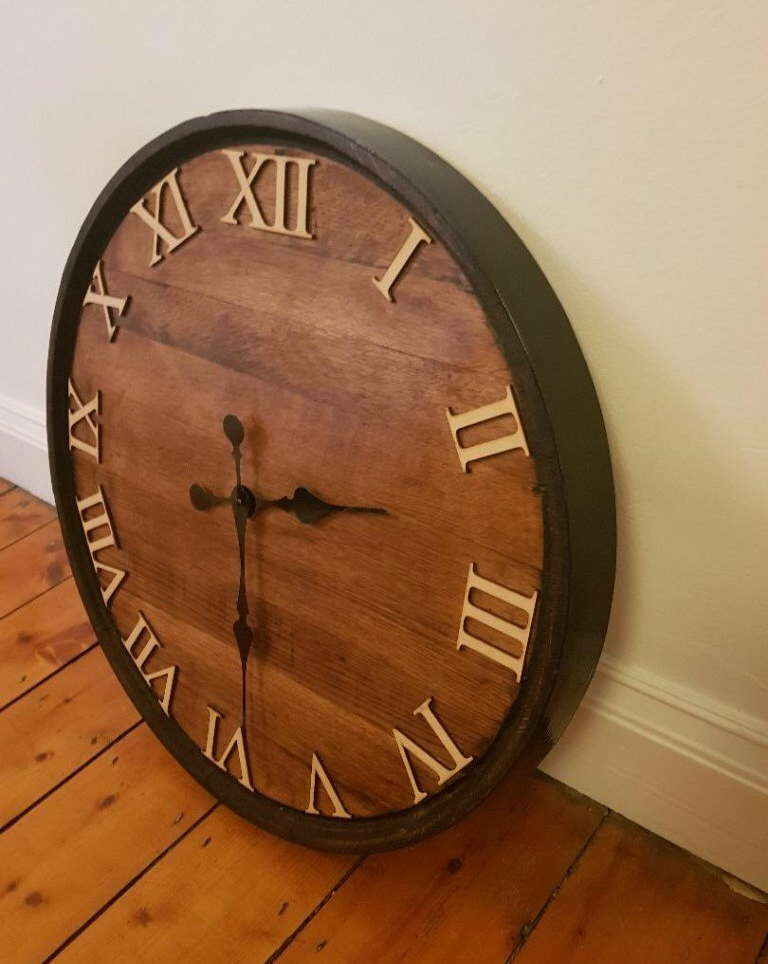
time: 2:29
